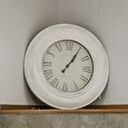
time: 1:05
